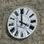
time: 4:00
